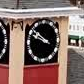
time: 9:51
